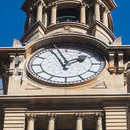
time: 1:56
